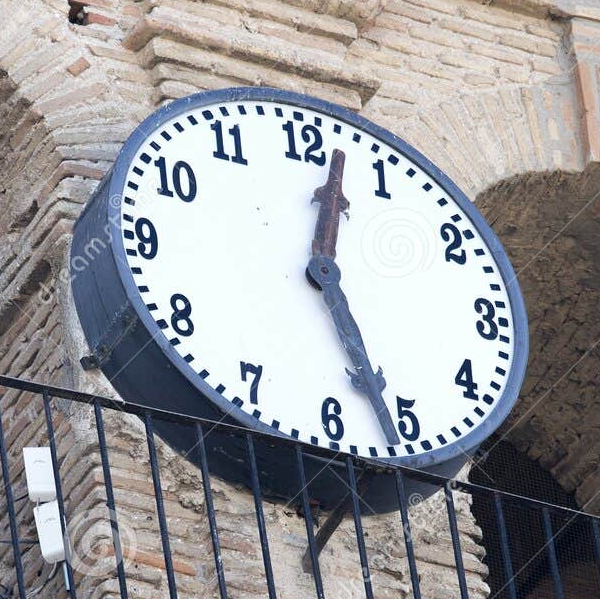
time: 12:26
